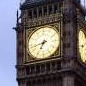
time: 6:42
